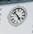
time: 4:52
